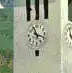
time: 11:18
